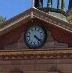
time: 4:21
